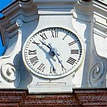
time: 10:24
